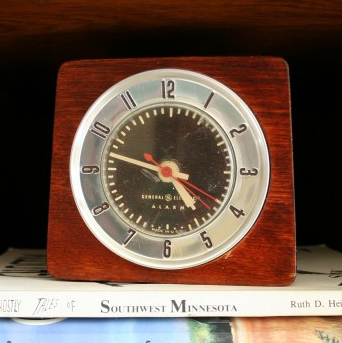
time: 4:47
